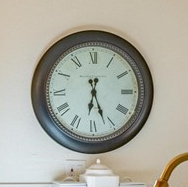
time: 6:26
